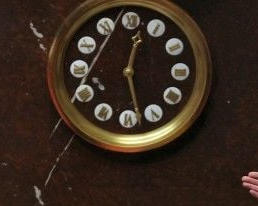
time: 12:27
